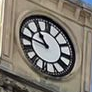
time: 10:45
